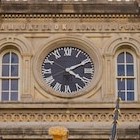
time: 4:10
